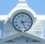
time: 2:25
